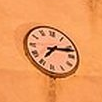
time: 7:12
